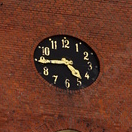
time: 4:44
